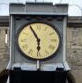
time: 5:55
